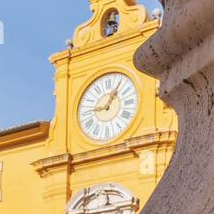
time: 9:05
